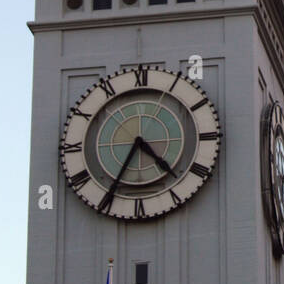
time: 4:35
